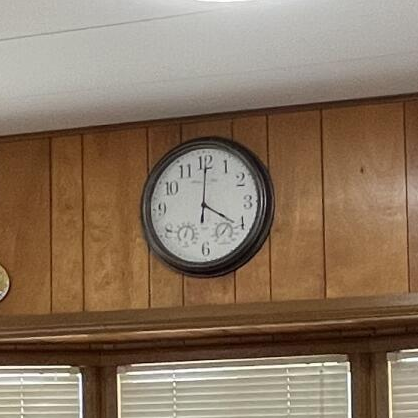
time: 4:00
